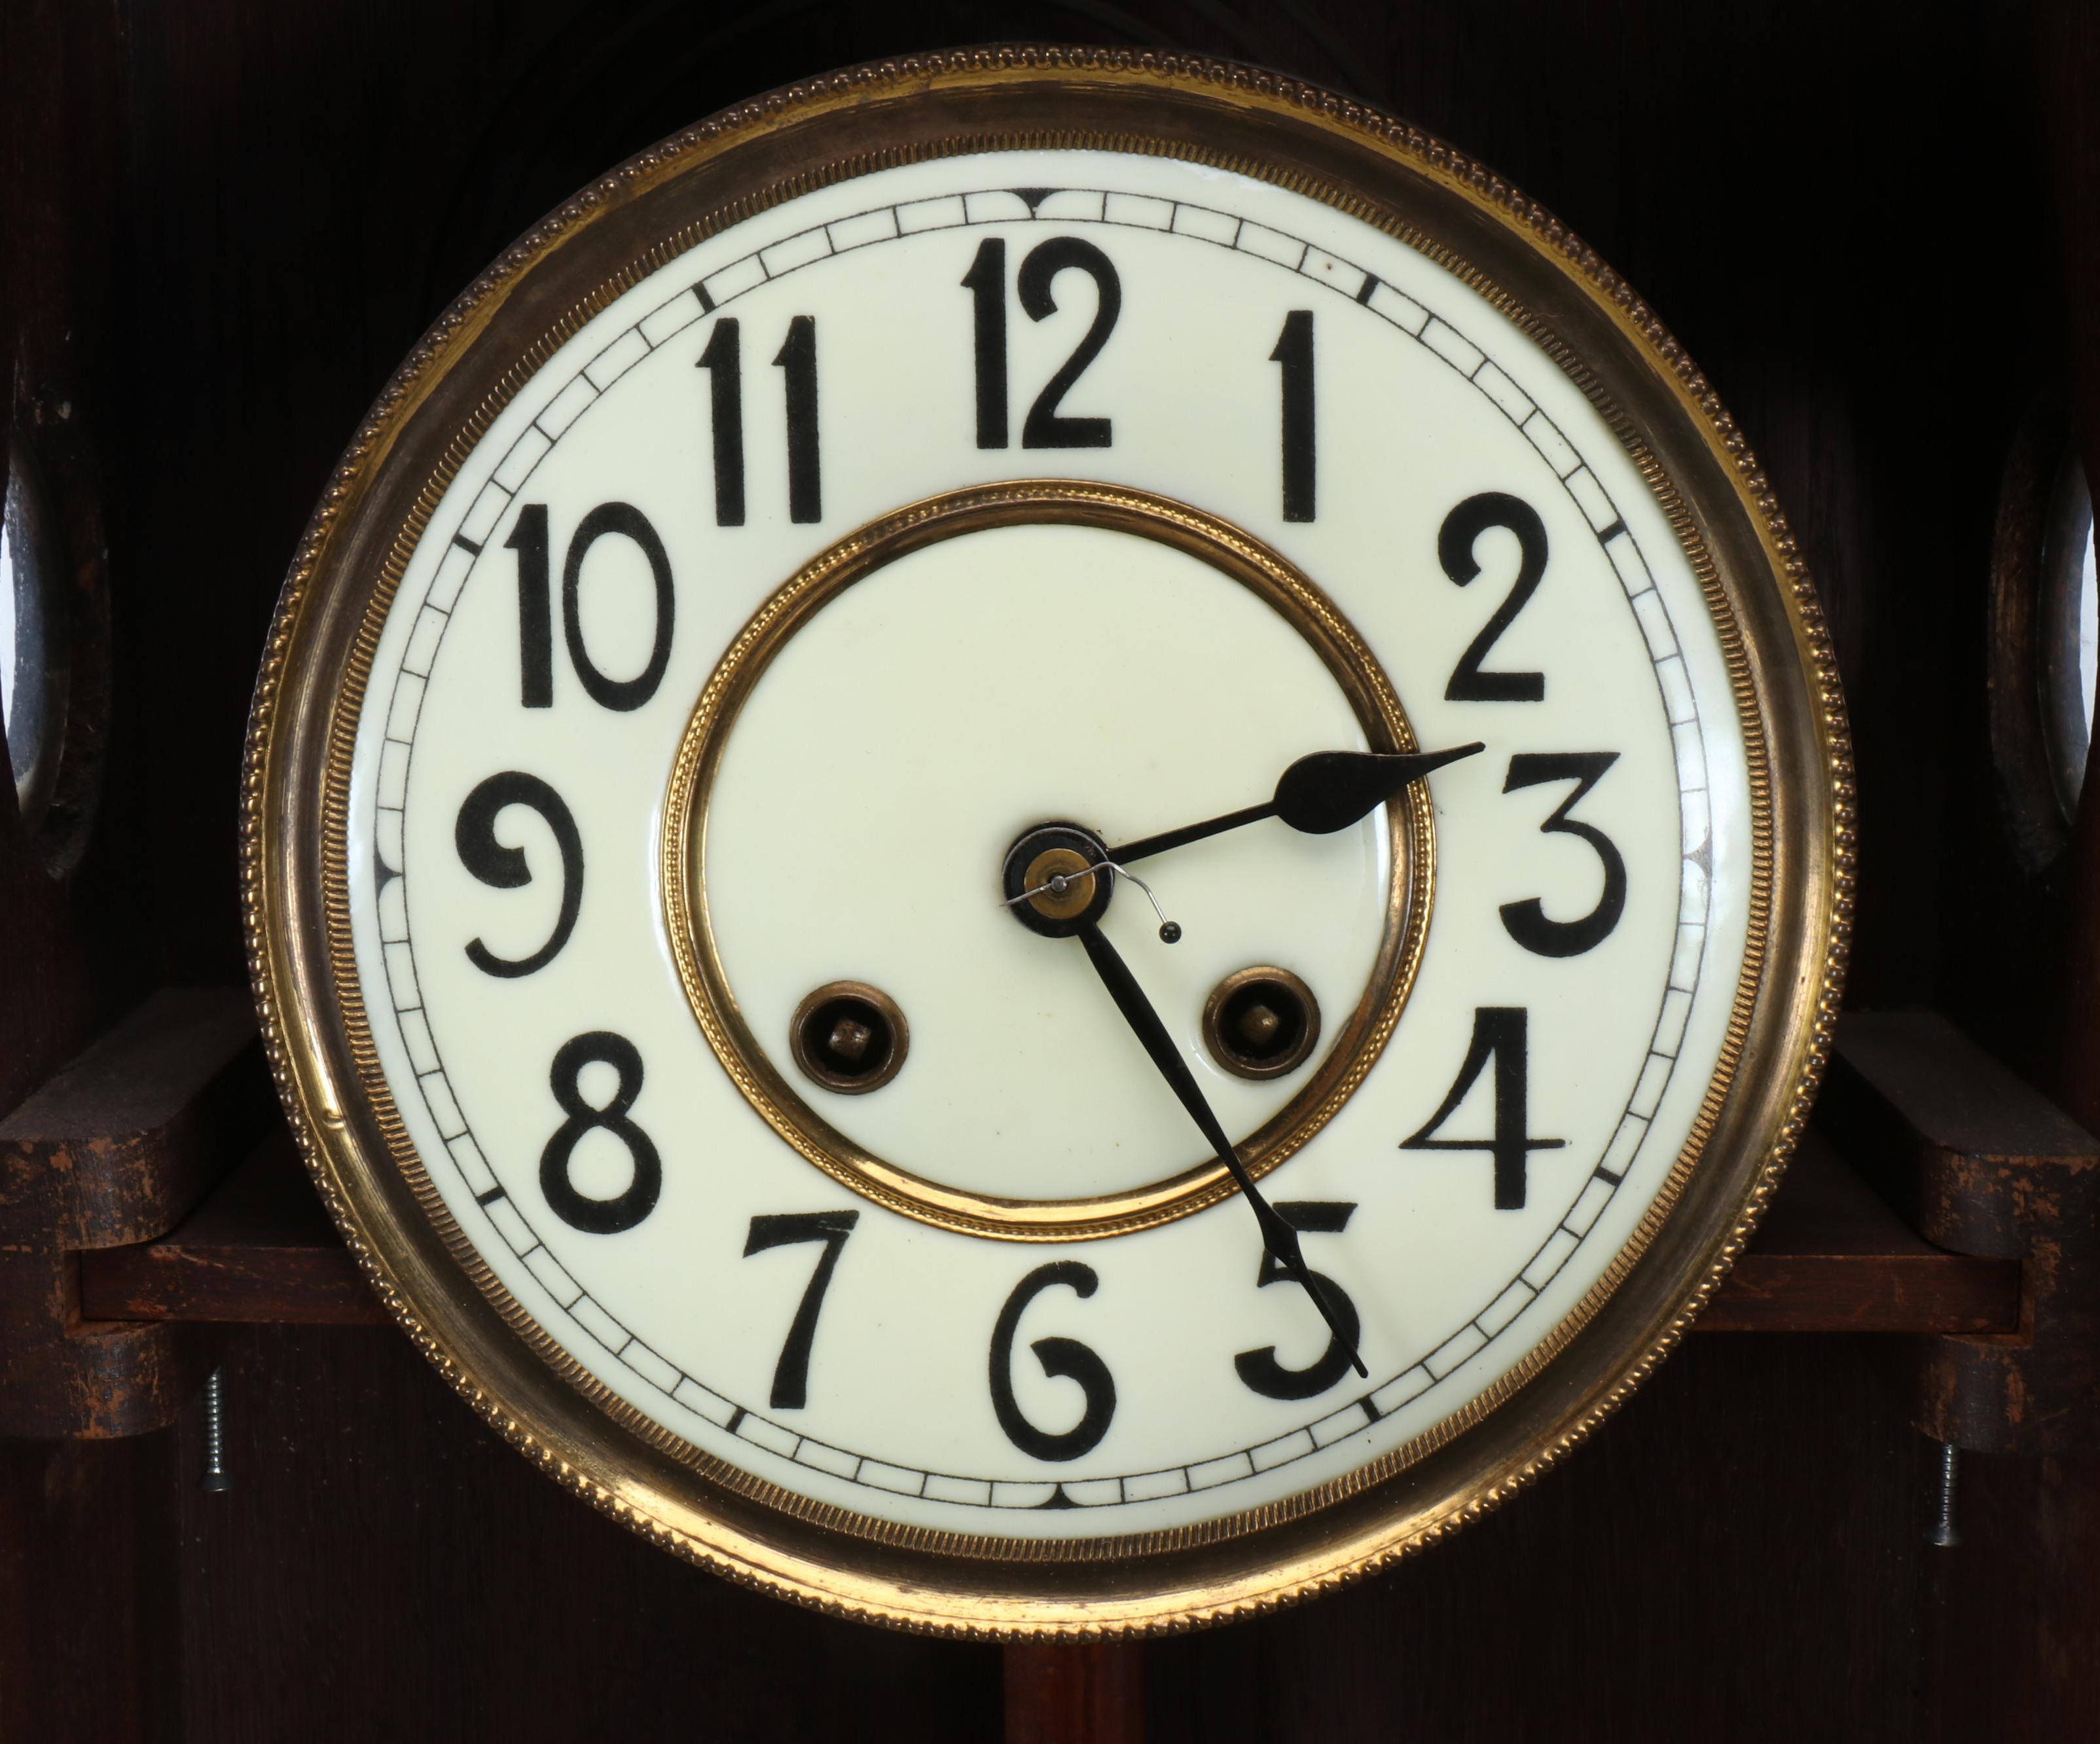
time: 2:24
